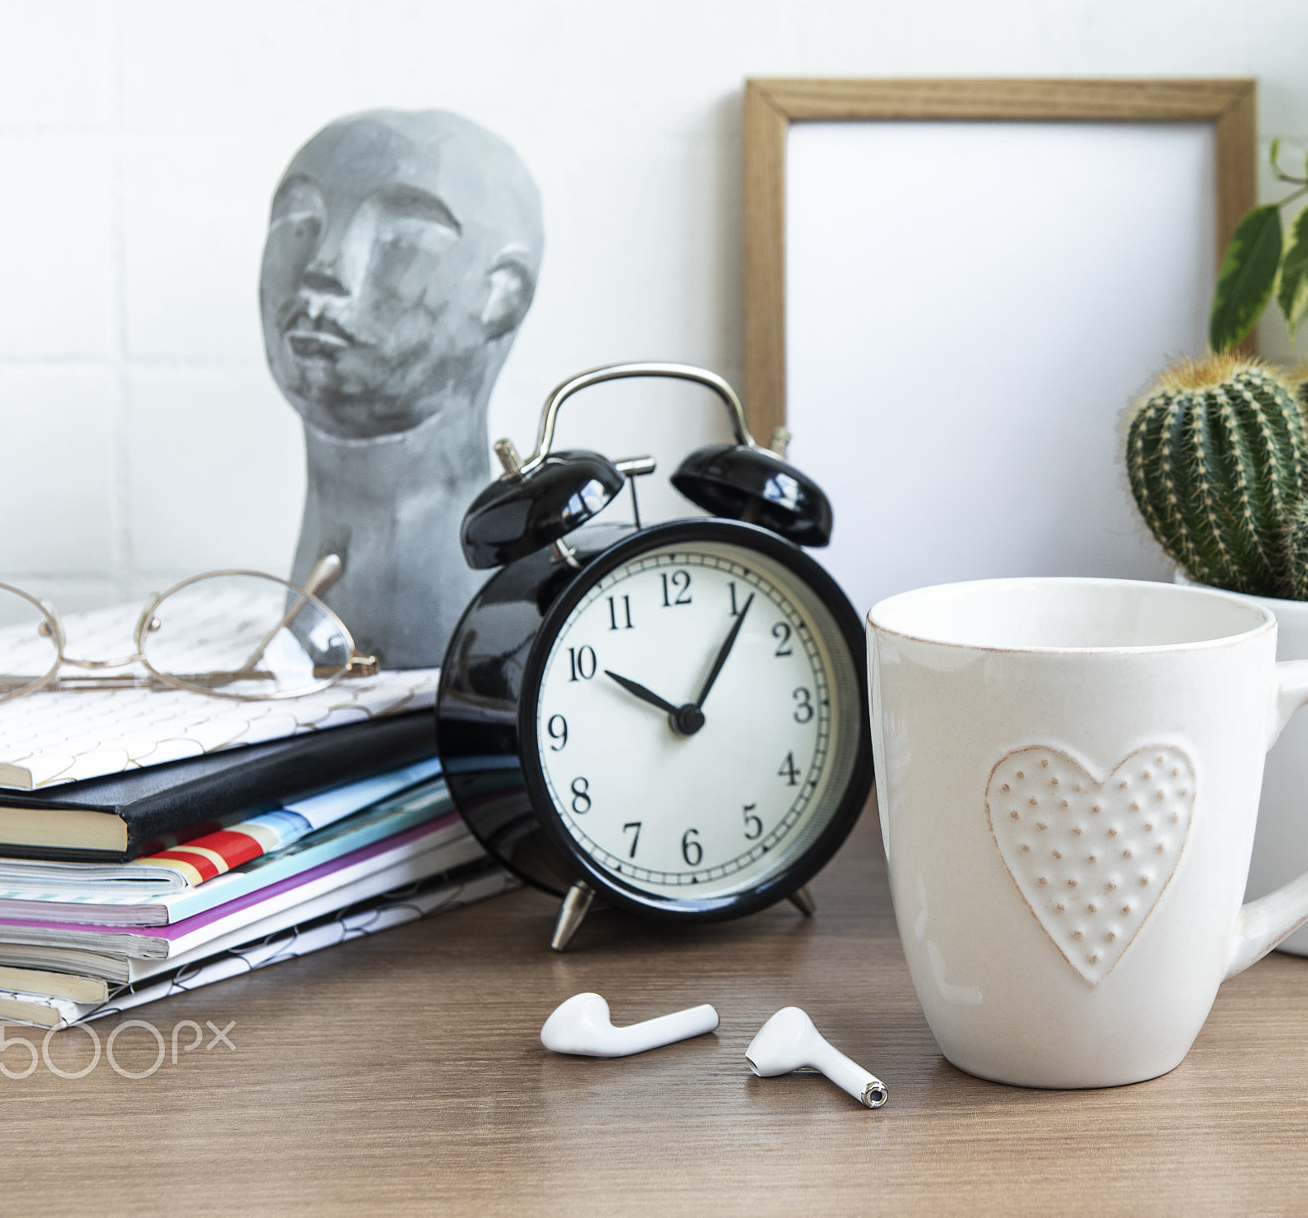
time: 10:06
